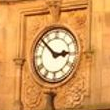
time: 2:52
